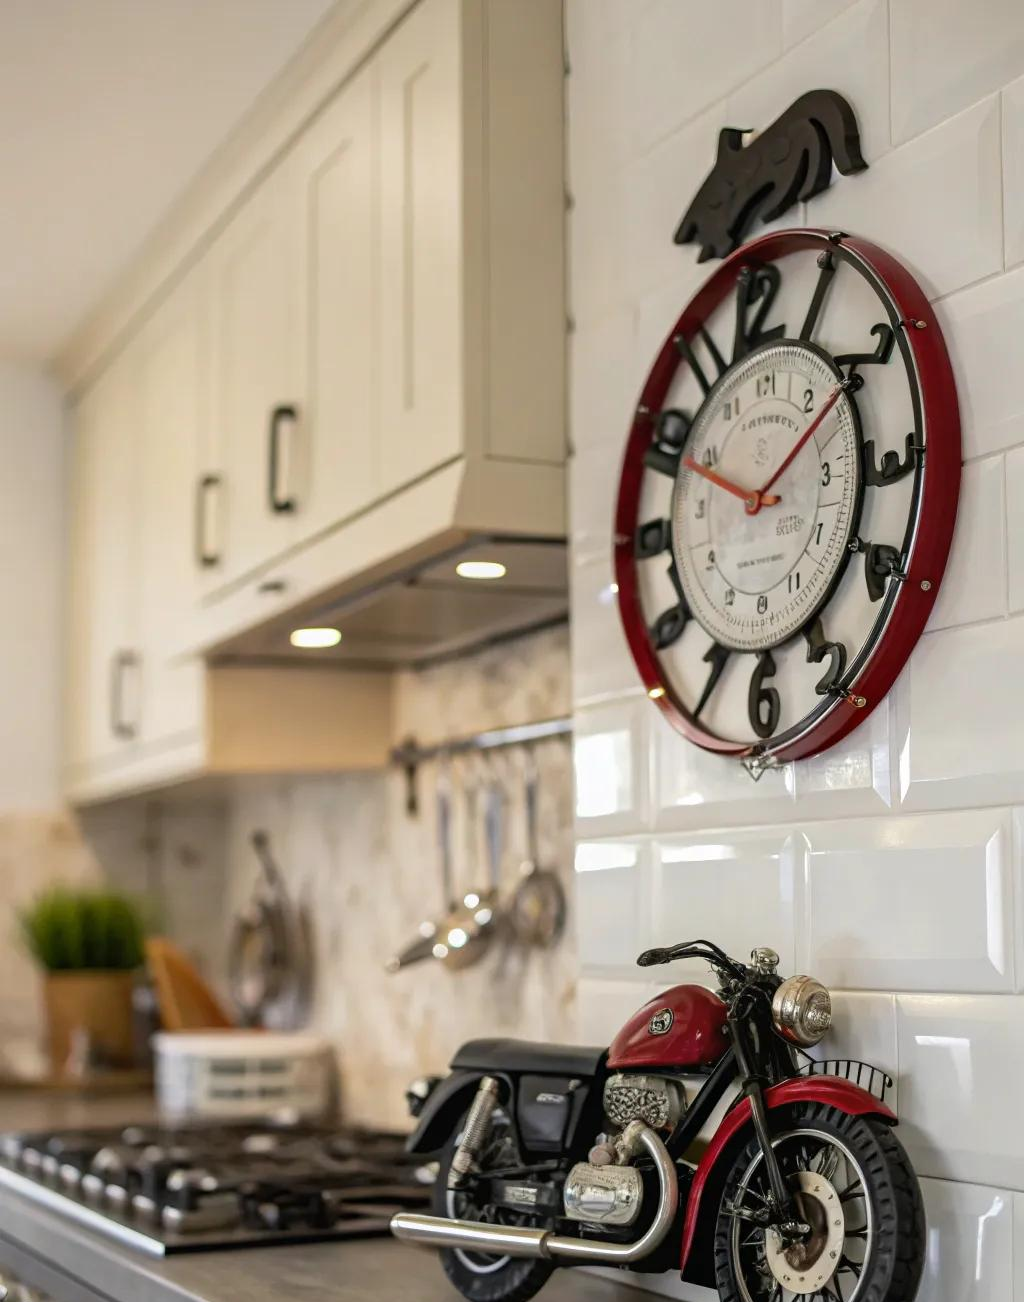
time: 1:49
